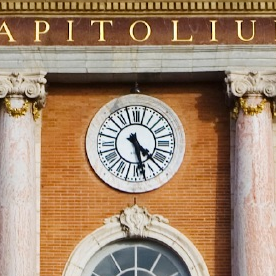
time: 4:27
